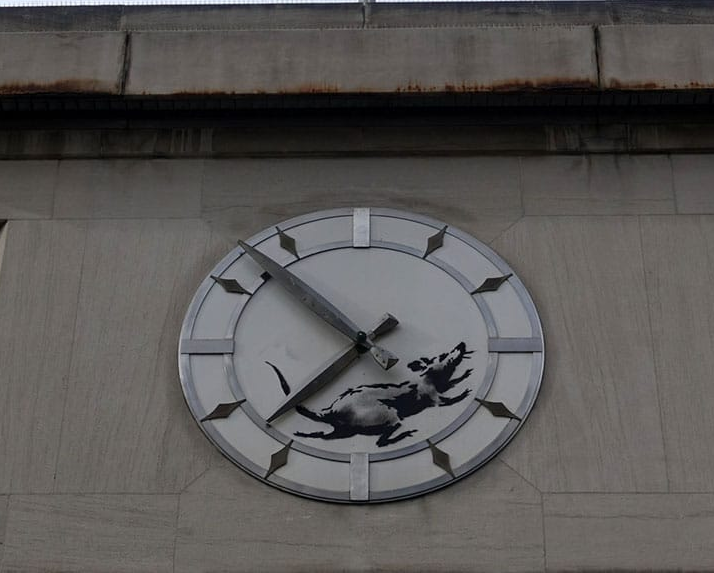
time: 10:37
